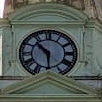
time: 10:30
